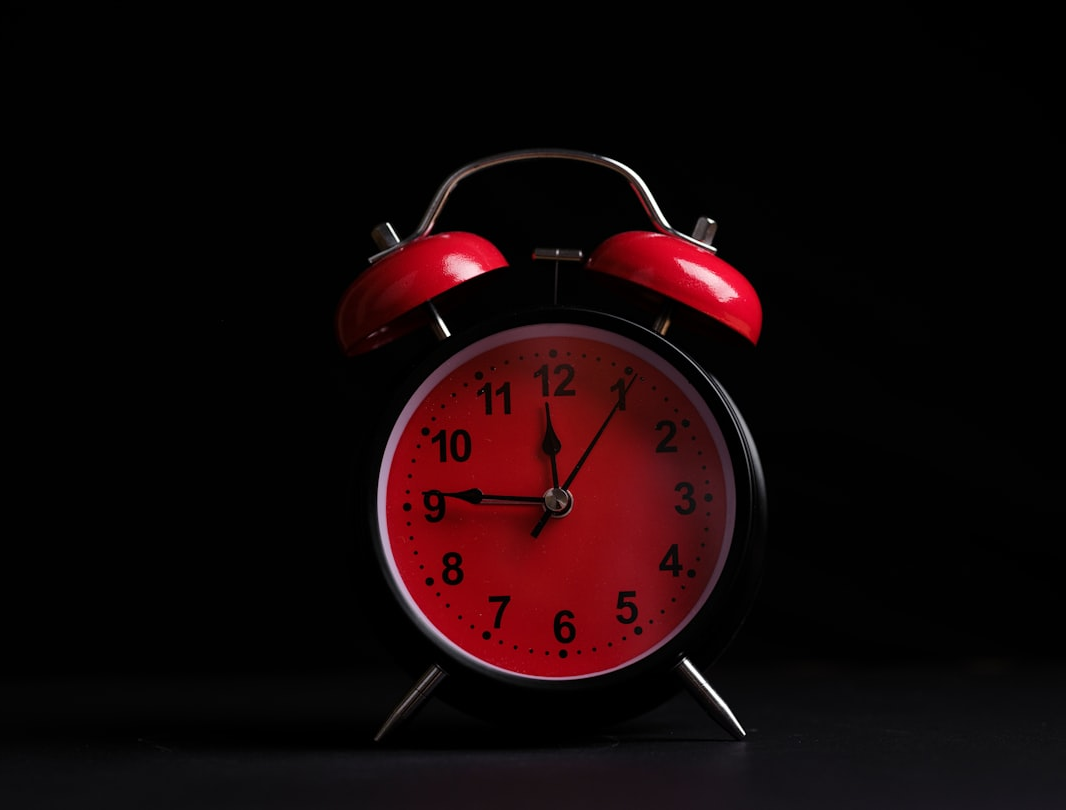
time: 11:45
